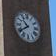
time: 10:39
